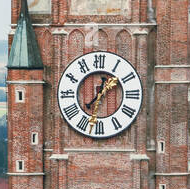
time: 12:37
